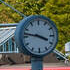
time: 3:47
